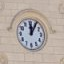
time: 12:05
